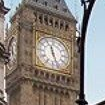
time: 11:26
